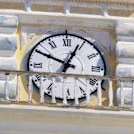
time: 12:49
